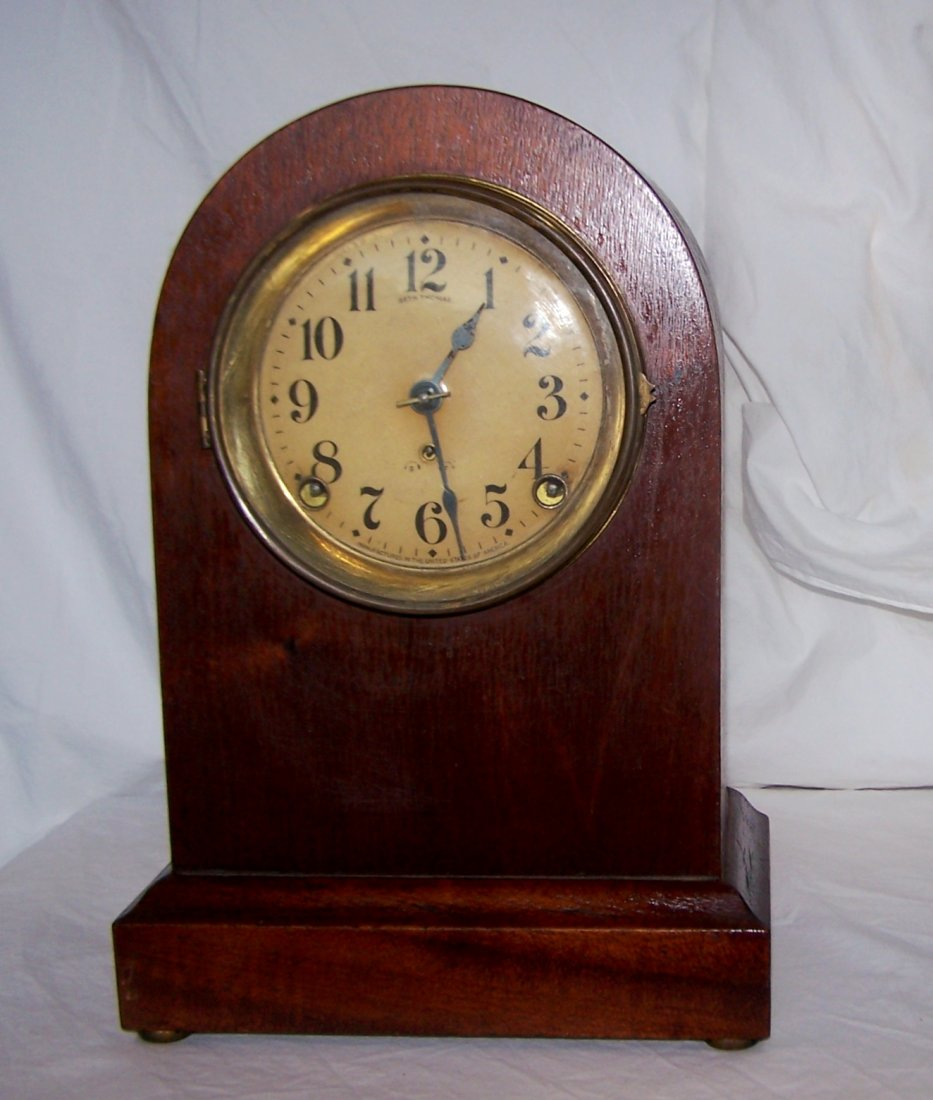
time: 1:27
